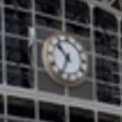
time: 10:34
